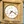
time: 7:18
